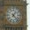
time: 1:22
